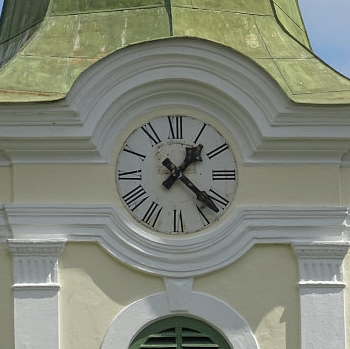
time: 1:21
